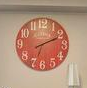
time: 2:11
